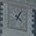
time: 4:04
